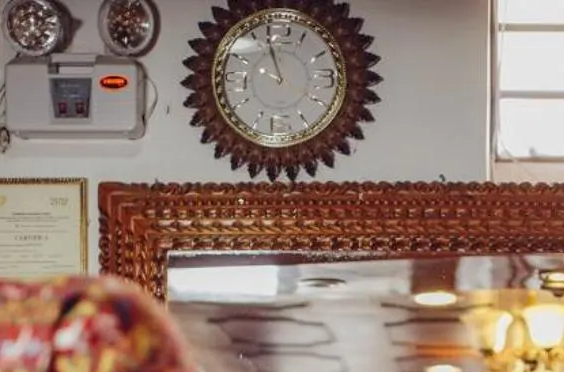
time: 9:57
